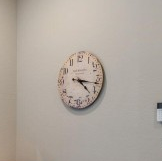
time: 4:16
